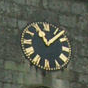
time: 11:07
